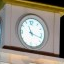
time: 11:17
